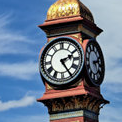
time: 2:24
